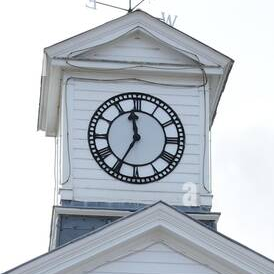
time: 11:34
